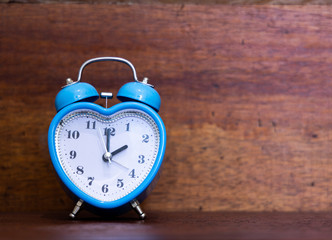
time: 1:59
